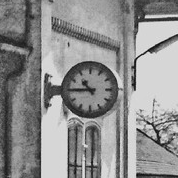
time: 10:45
